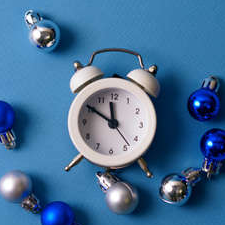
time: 11:50
